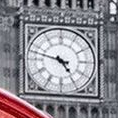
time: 4:47
